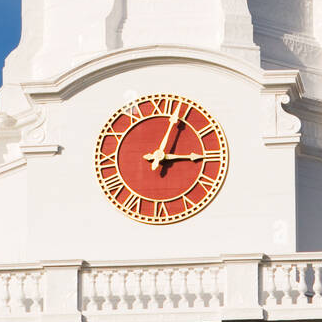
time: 3:03
